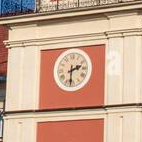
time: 2:31
